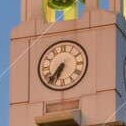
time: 6:36
